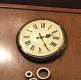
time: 2:25
